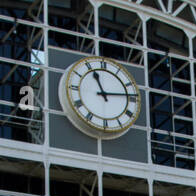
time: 11:13
